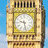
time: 9:28
